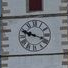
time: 9:18
